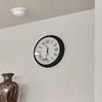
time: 11:31
